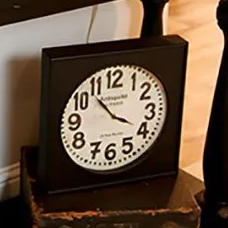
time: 3:52
